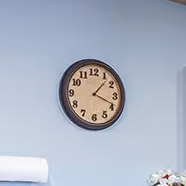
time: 1:18
